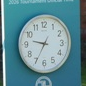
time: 9:34
